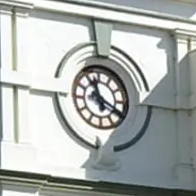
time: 11:19
